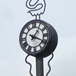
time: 1:19
